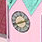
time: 8:11
